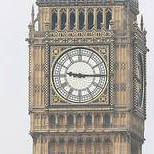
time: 9:15
